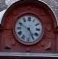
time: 4:49
